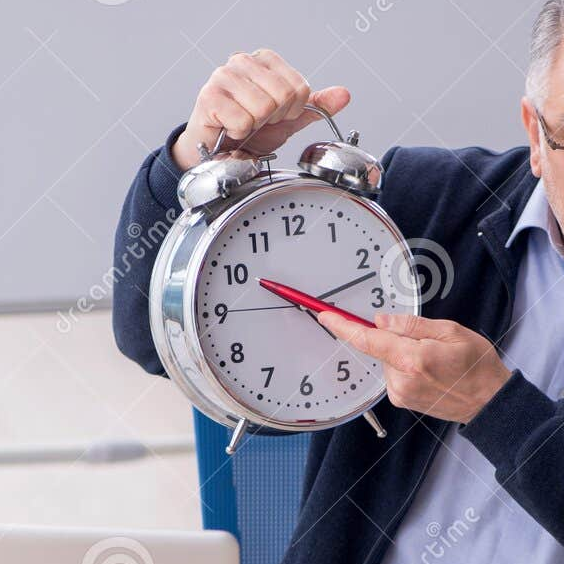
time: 10:12
